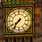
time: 7:36
